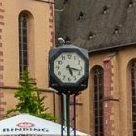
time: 5:17
